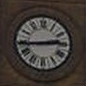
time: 2:43
